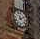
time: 11:10
